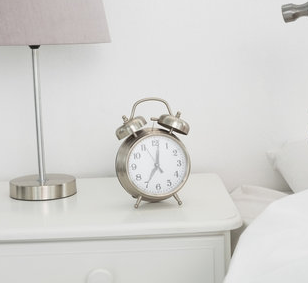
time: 7:01
